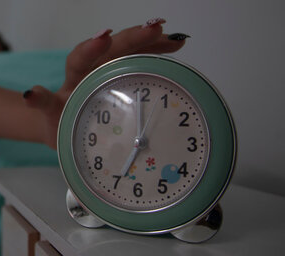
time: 7:00
